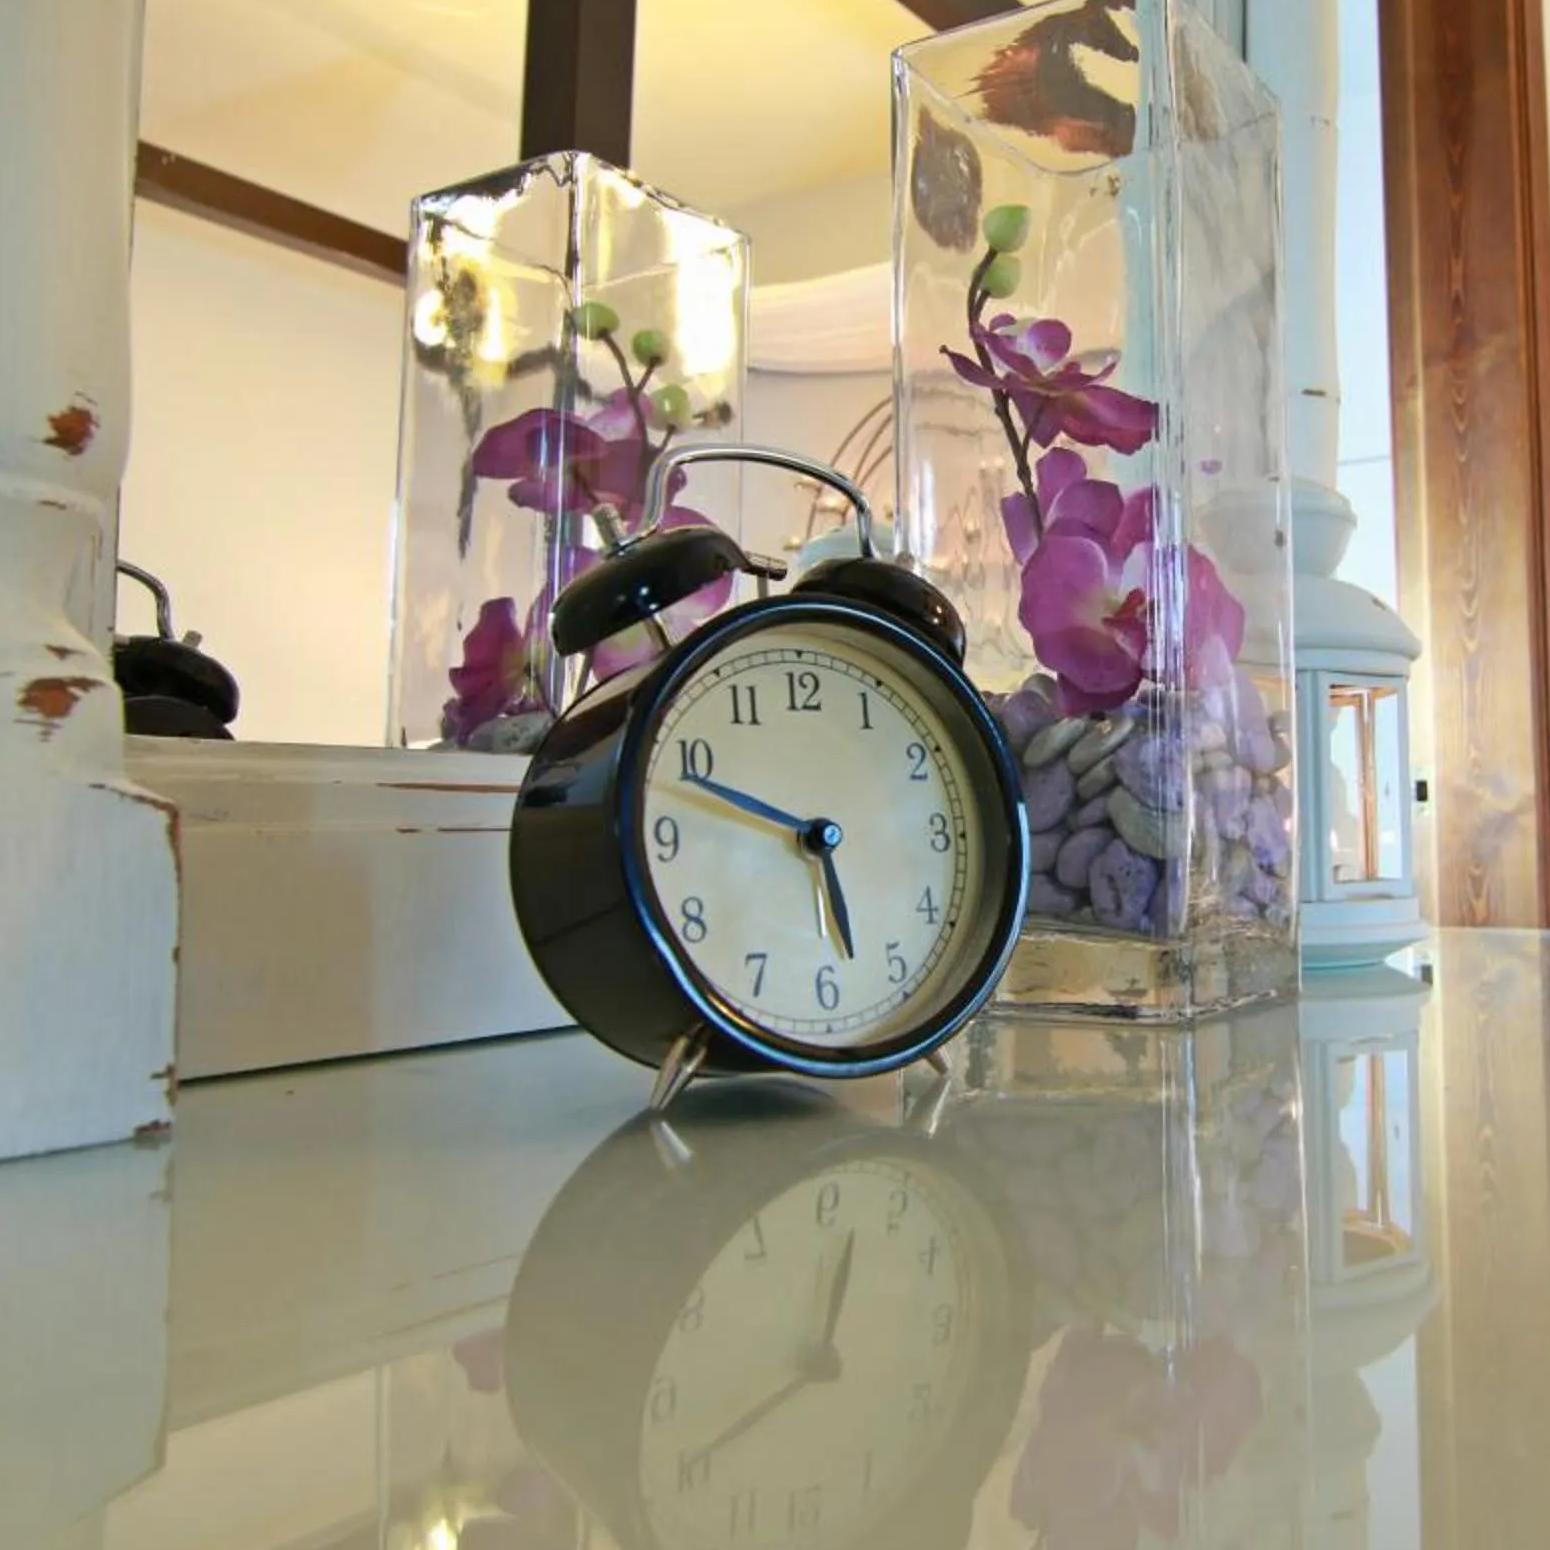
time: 5:48
